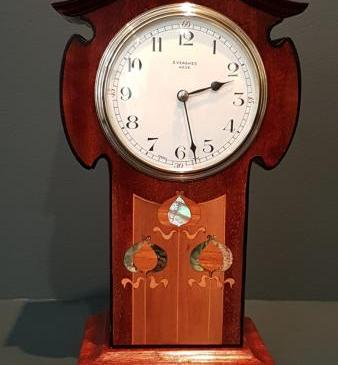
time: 2:27
